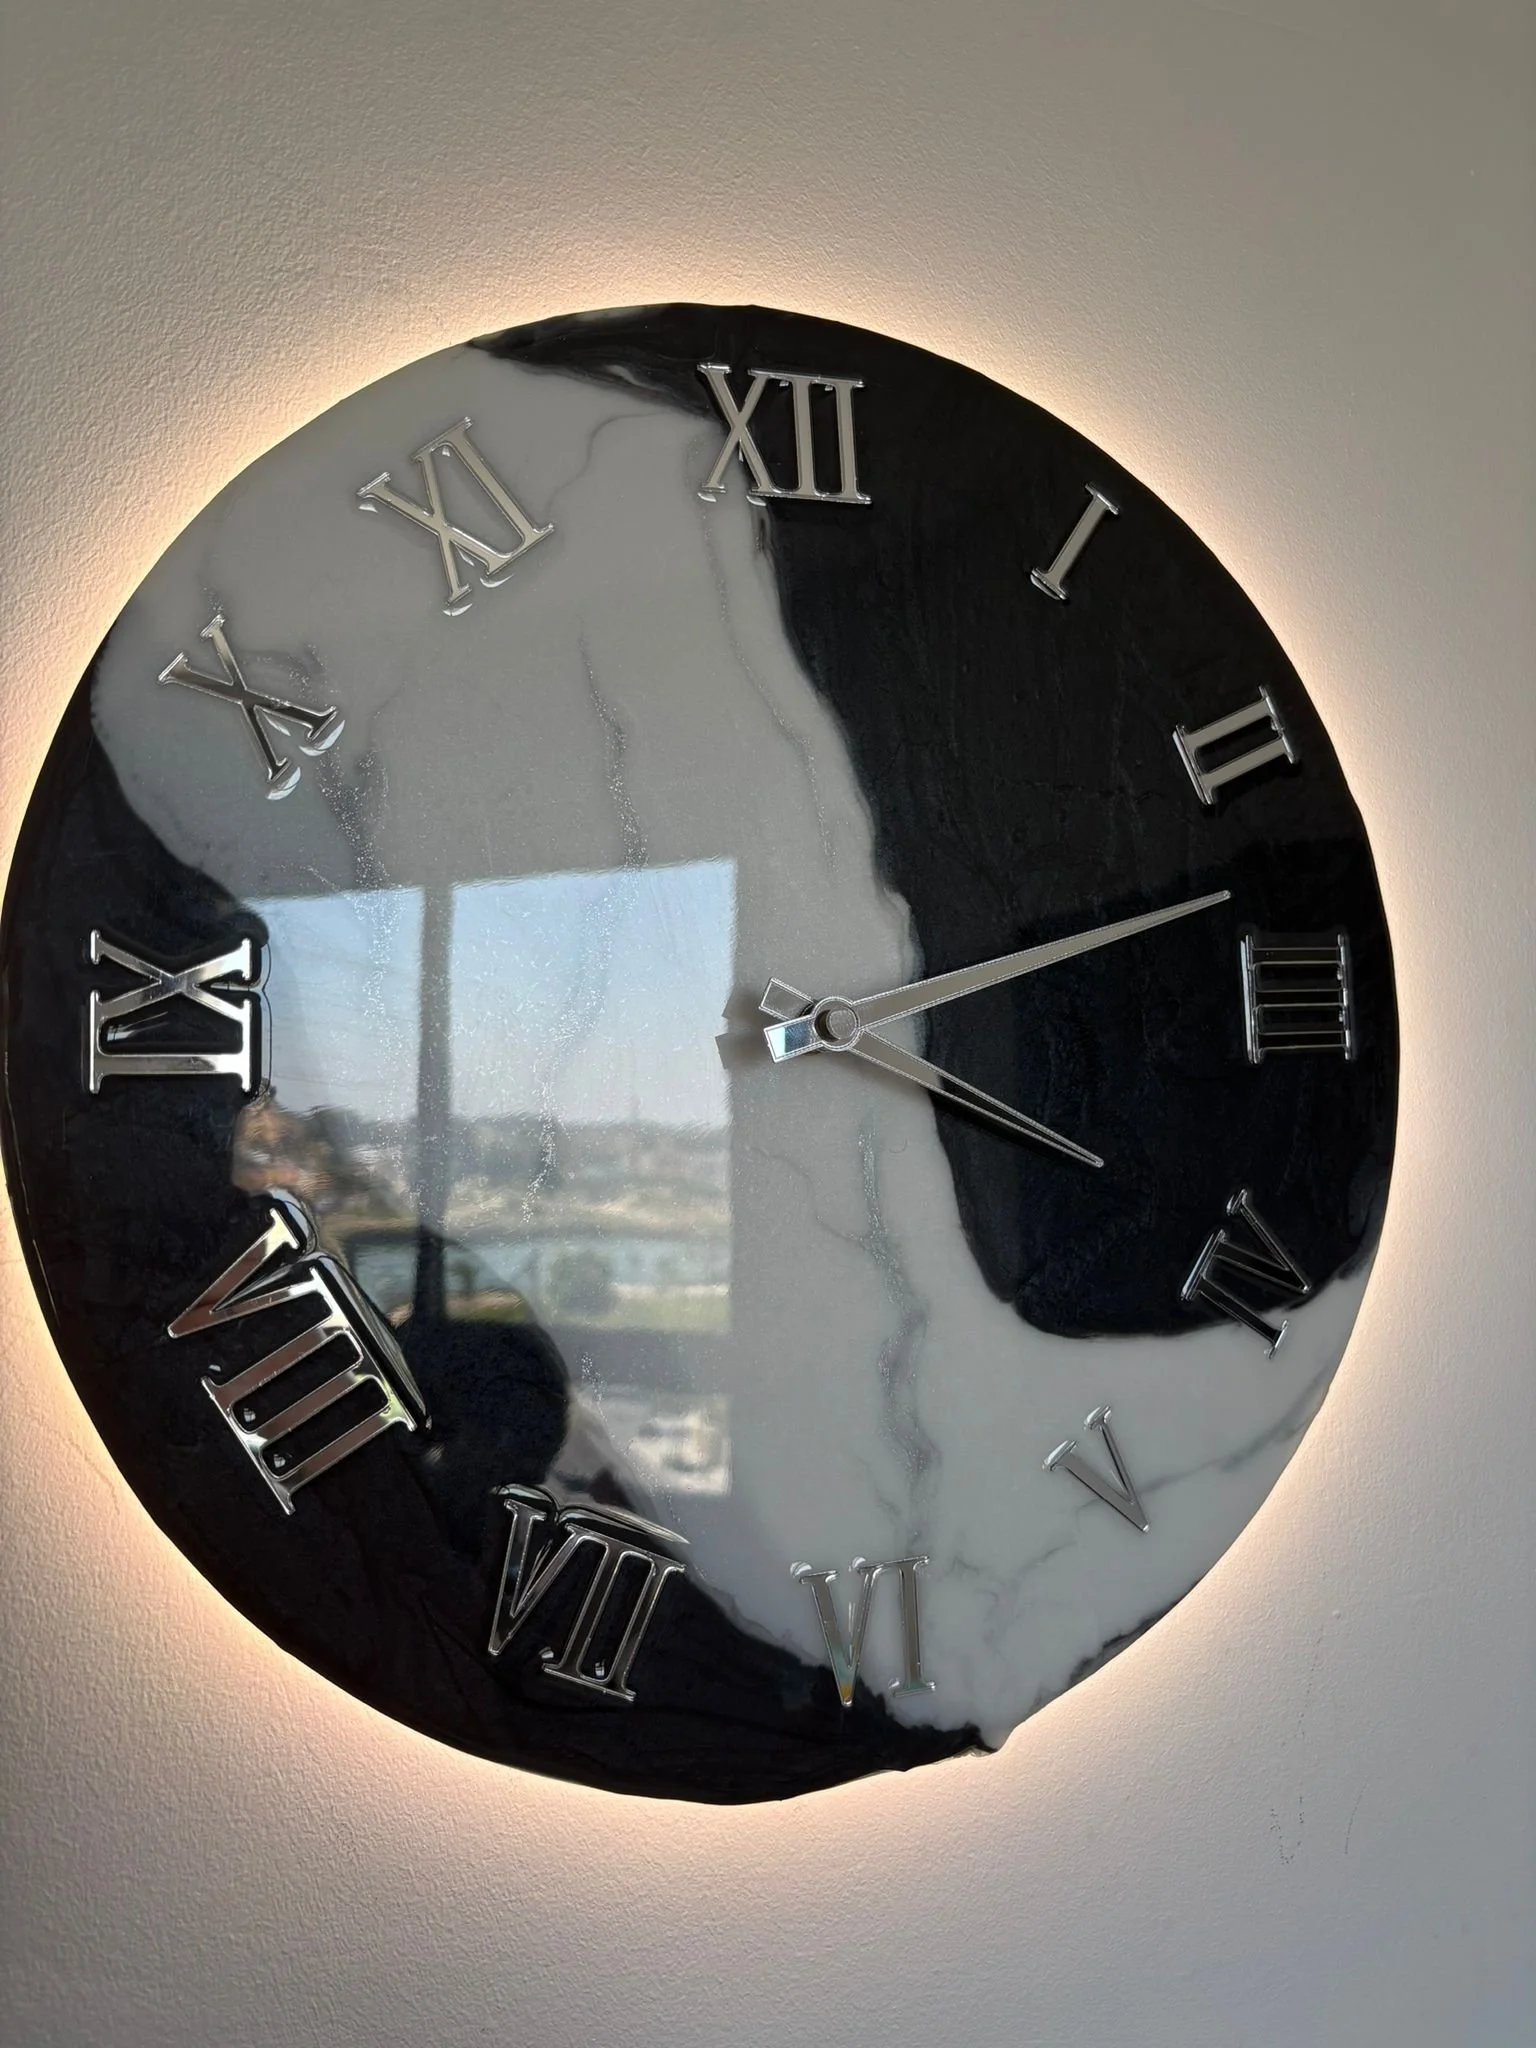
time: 4:12
